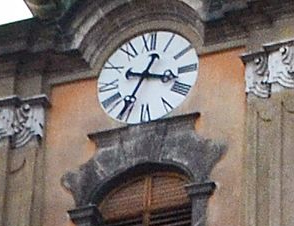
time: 3:35
